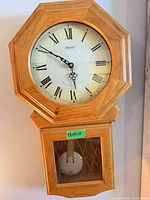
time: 5:50
